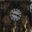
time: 3:47
